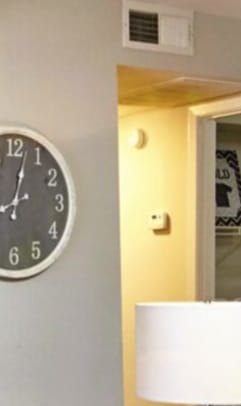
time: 8:02
